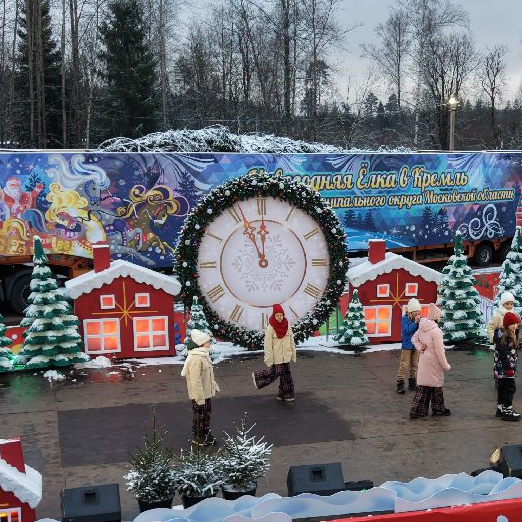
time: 11:55
